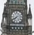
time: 7:39
